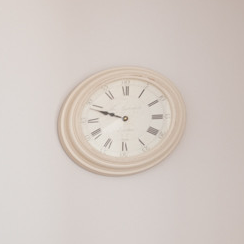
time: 9:48
